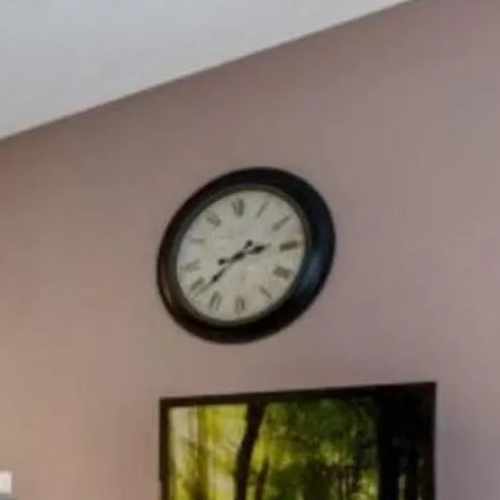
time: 2:38
